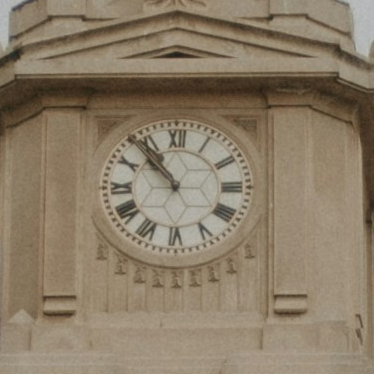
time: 10:52
